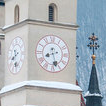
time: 8:27
